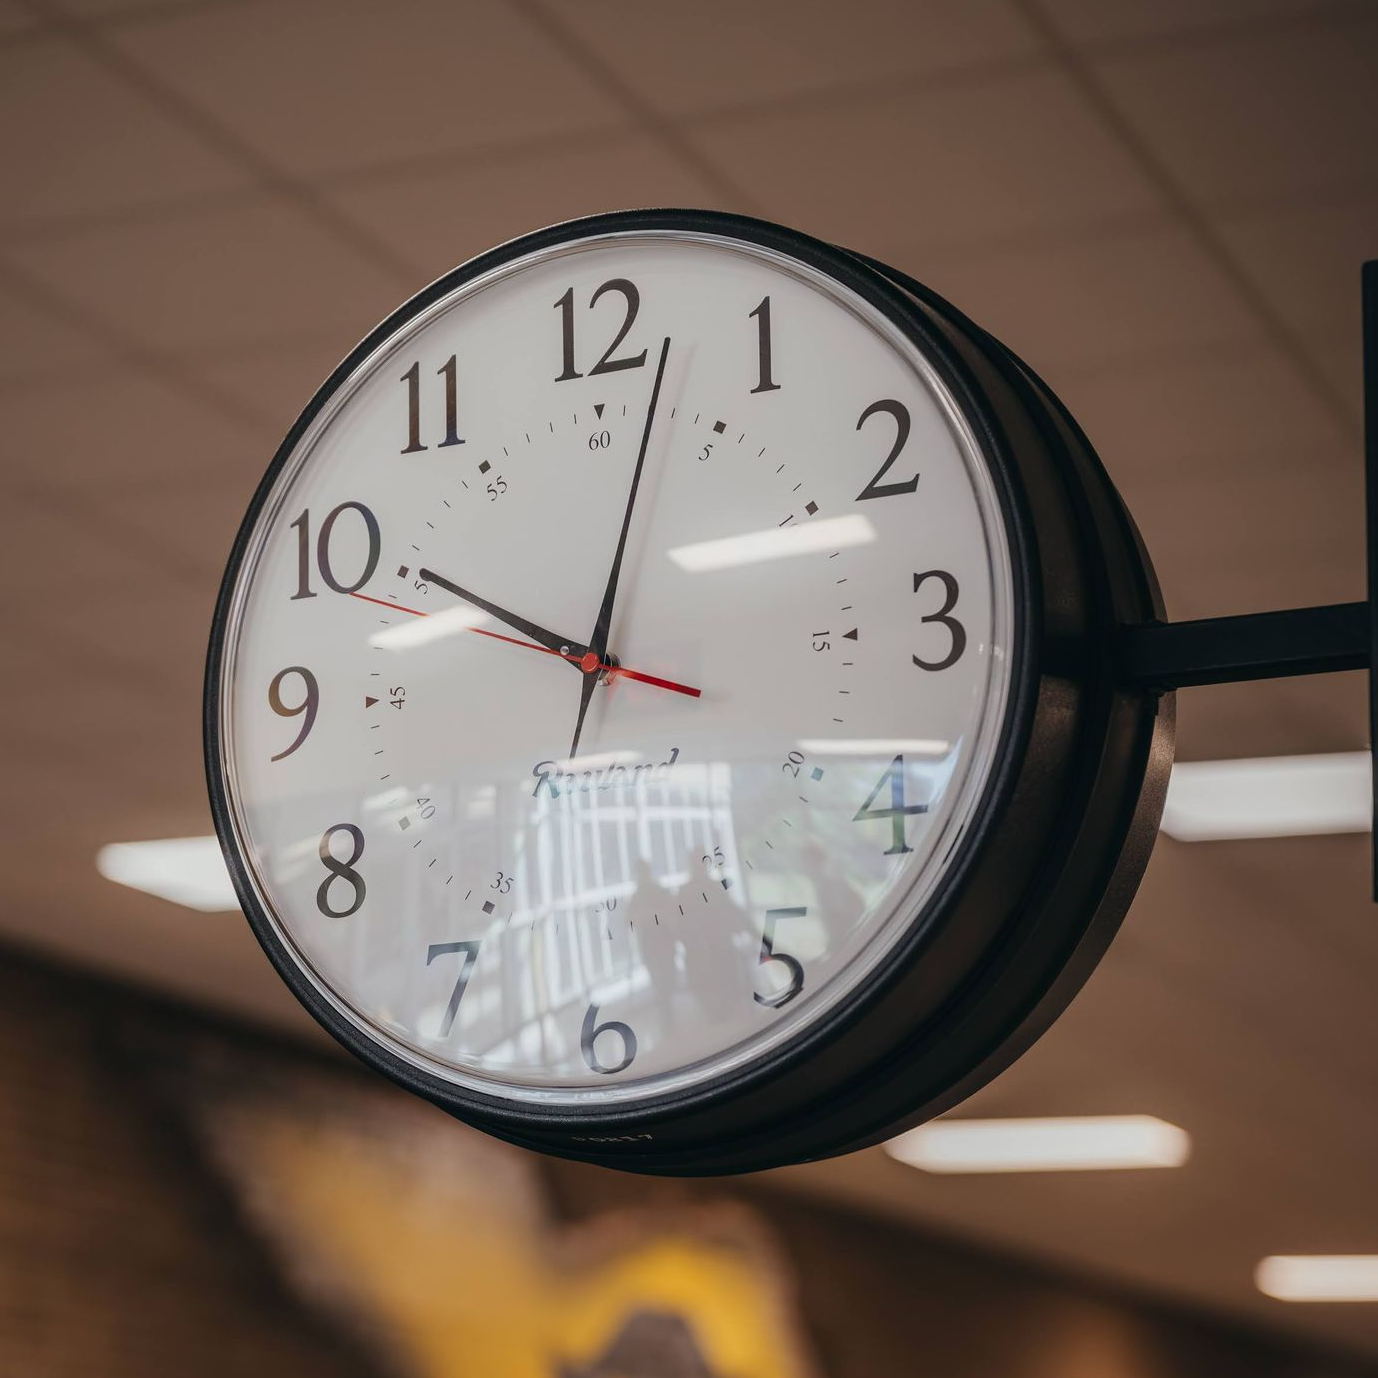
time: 10:02
